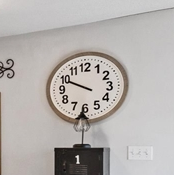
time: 9:49
